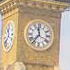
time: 11:36
